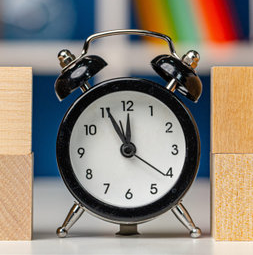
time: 11:55
